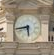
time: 5:43
